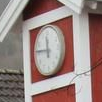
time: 11:46
